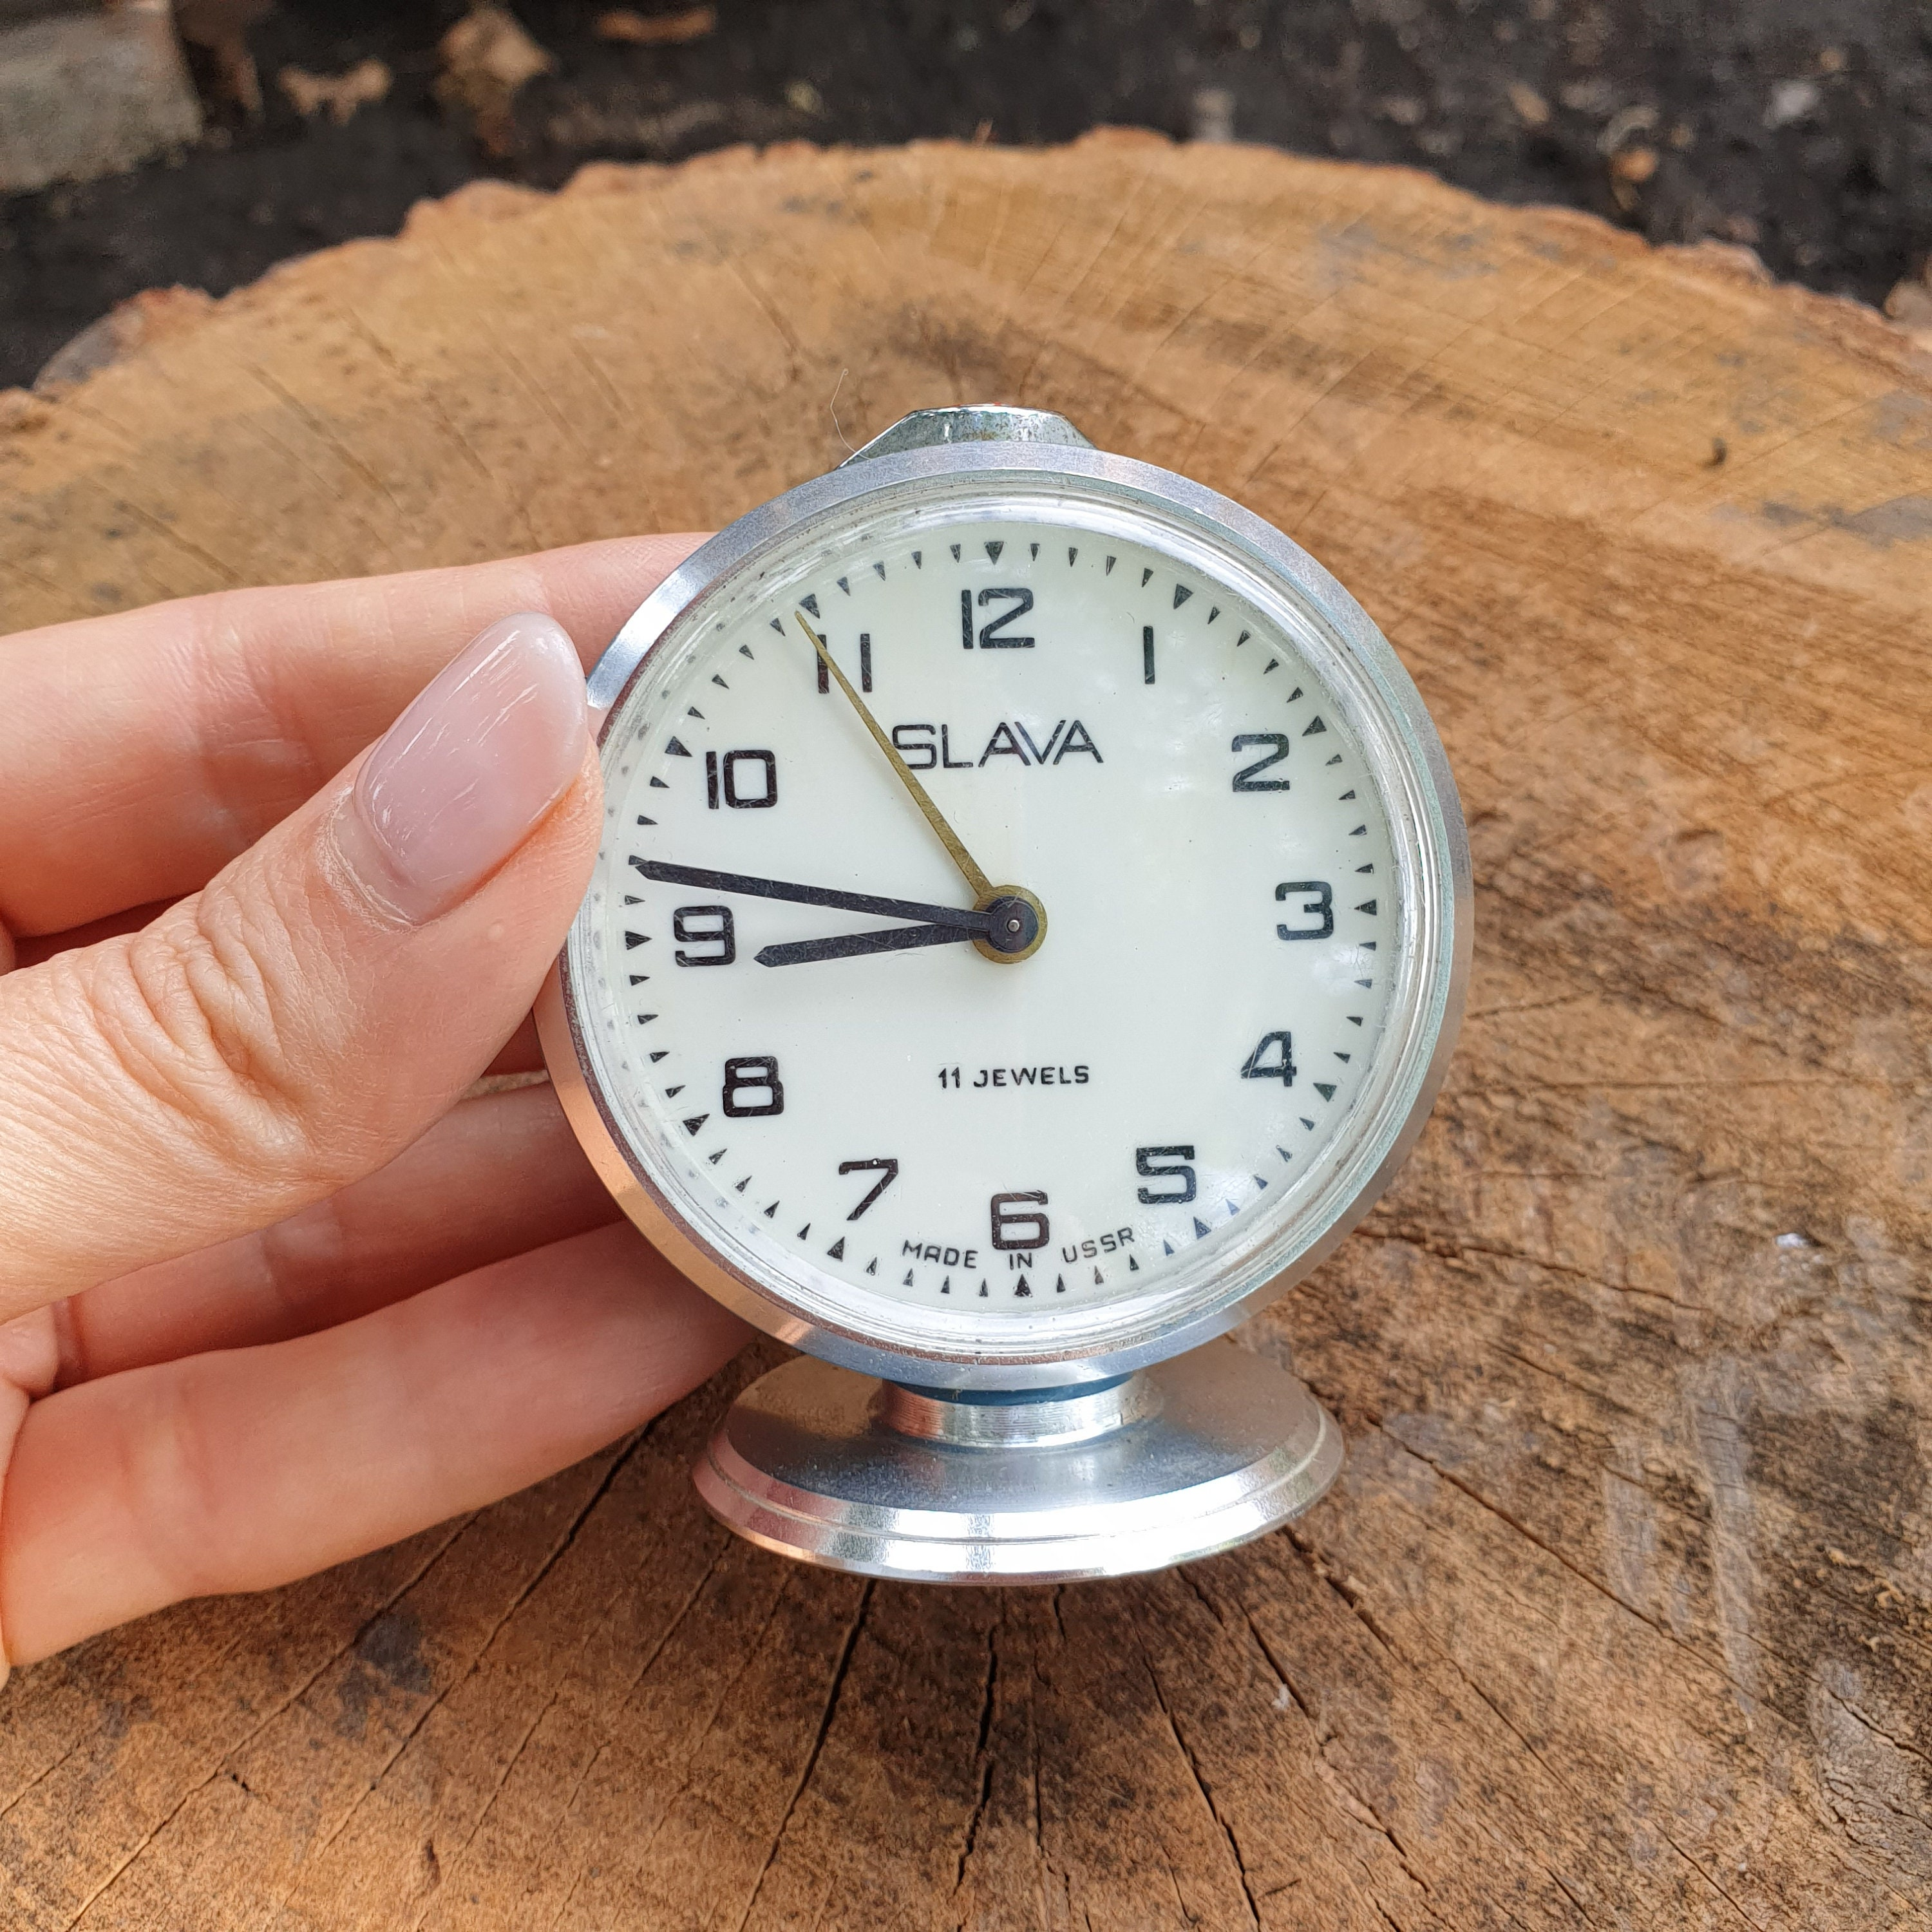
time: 8:46
